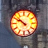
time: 9:51
